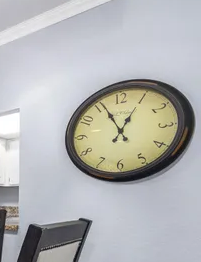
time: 12:55
